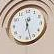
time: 12:27
